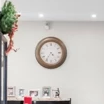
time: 4:35
